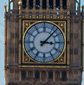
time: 3:07
